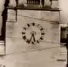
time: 5:33
